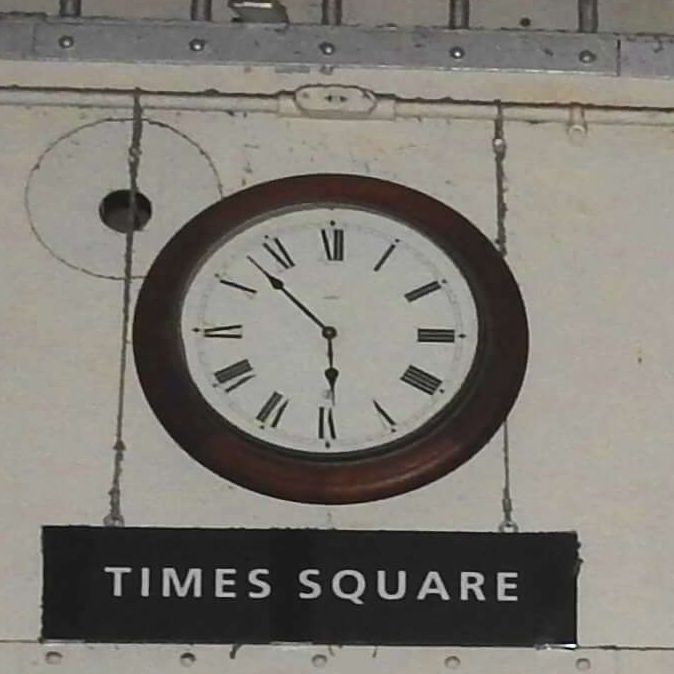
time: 5:52
